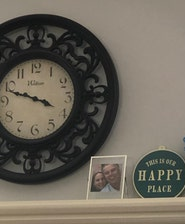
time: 3:48
